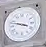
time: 3:48
